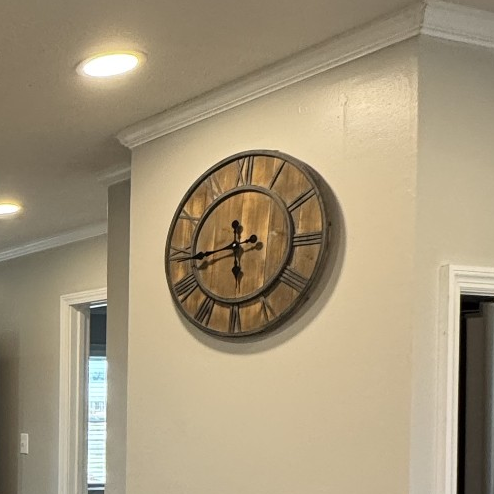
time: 5:43
